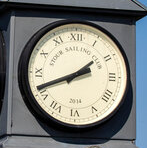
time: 1:41
